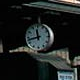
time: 11:42
